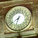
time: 7:32
